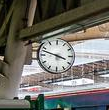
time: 3:48
